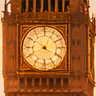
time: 3:50
